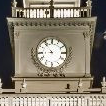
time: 8:53
